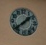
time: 1:38
